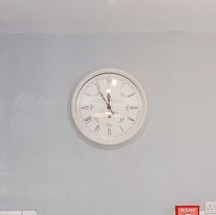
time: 11:54
